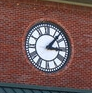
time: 3:07
